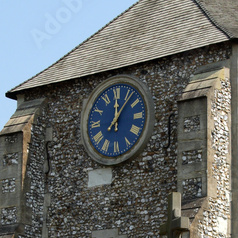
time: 12:06
